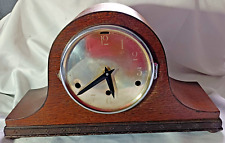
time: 5:38
